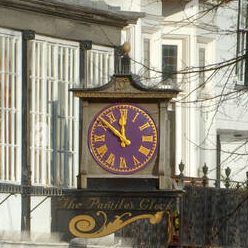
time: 11:51
